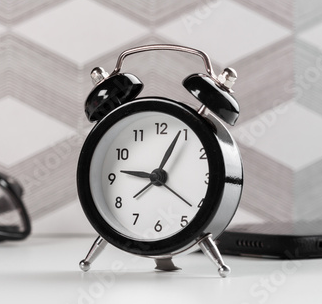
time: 9:05
